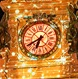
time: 6:40
